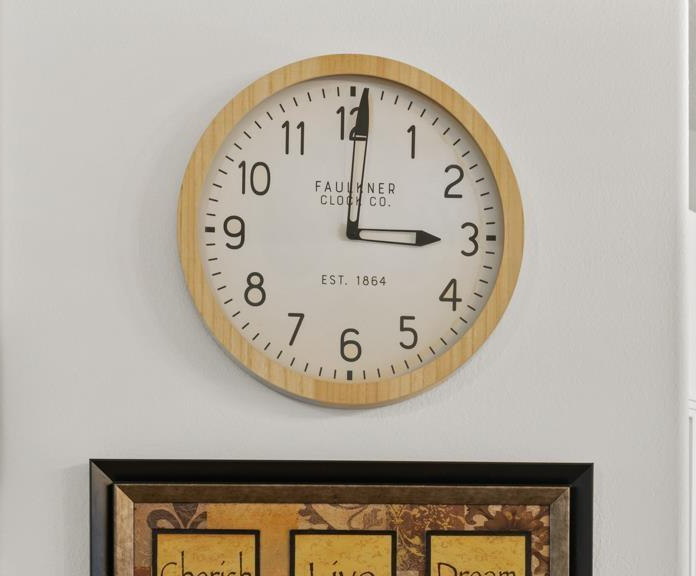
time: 3:00
